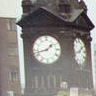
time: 1:42
